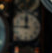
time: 11:46
